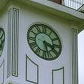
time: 3:28
